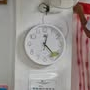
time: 12:23
